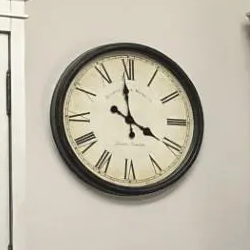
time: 3:58
